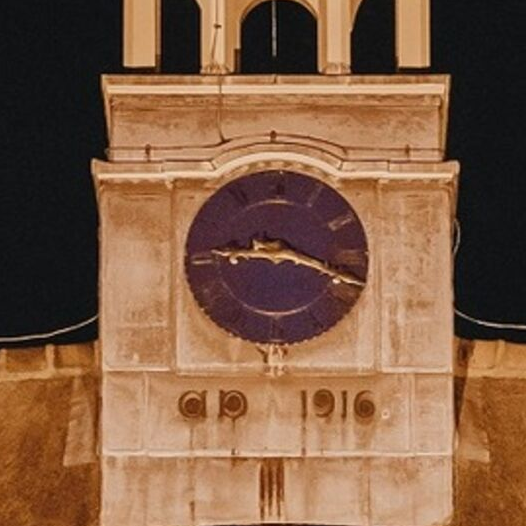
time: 9:18
